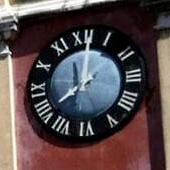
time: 8:01
